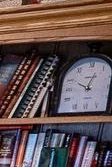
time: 10:03
